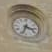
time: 3:33
